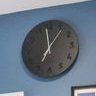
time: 6:58
